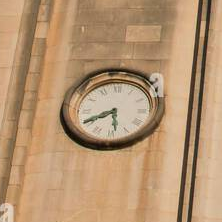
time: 5:40
